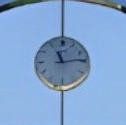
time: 11:13
